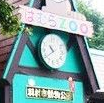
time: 10:39
